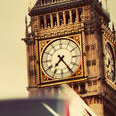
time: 7:24
